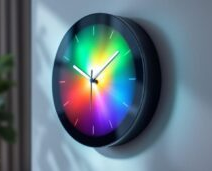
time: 1:49
